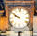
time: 9:50
